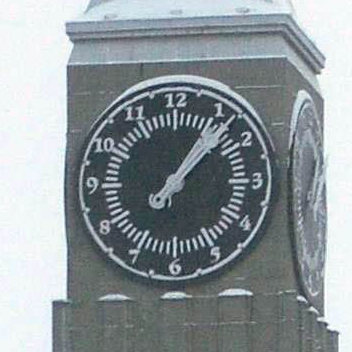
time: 1:07
